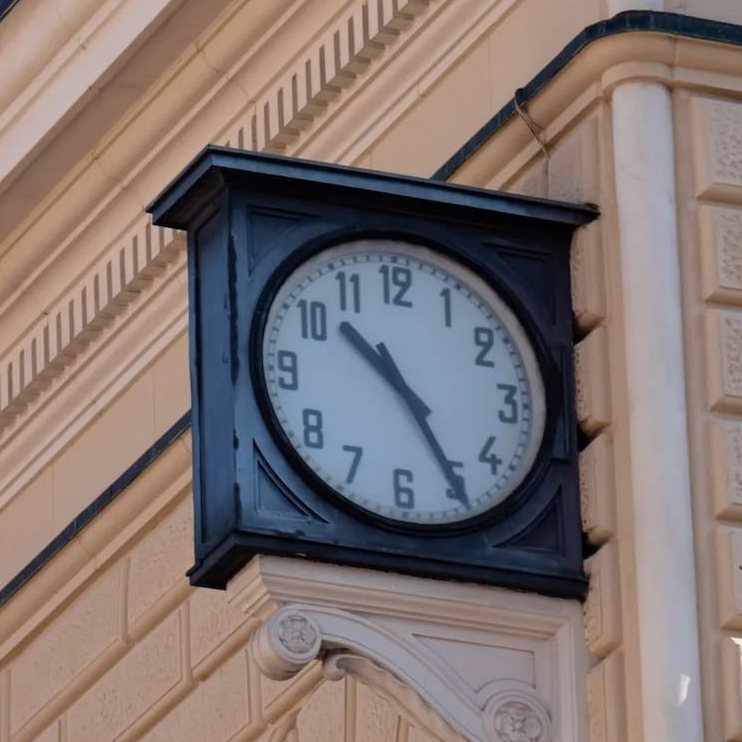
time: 10:24
